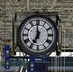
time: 6:59
